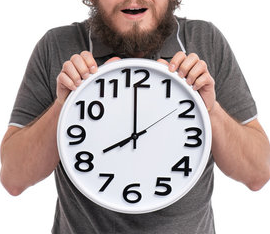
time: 7:59
